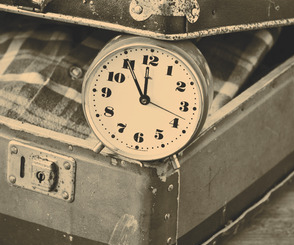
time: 11:54
